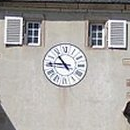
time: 10:45
